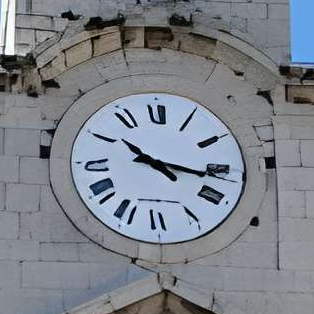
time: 10:16
